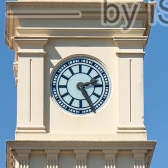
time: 2:25
